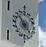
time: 4:52
